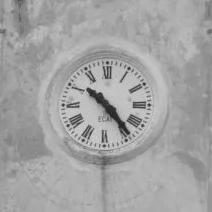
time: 10:23
